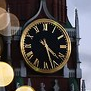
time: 4:27
